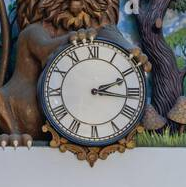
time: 2:16
